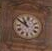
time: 10:50
